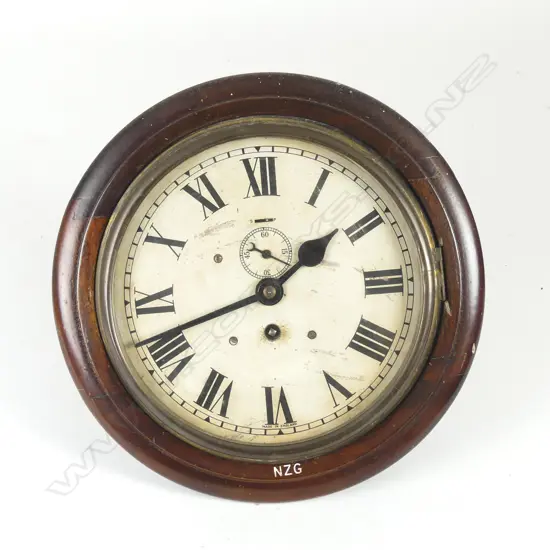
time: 1:41
